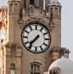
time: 7:36
